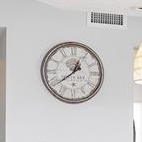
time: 12:38
